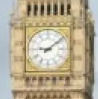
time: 9:08
